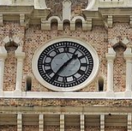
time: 1:36
